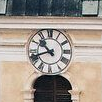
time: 10:41
